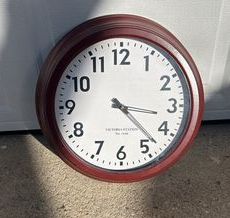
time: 3:22
